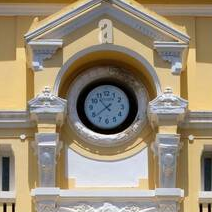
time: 10:38
